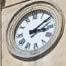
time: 3:09
